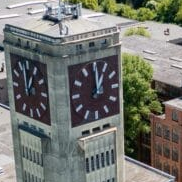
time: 1:00
